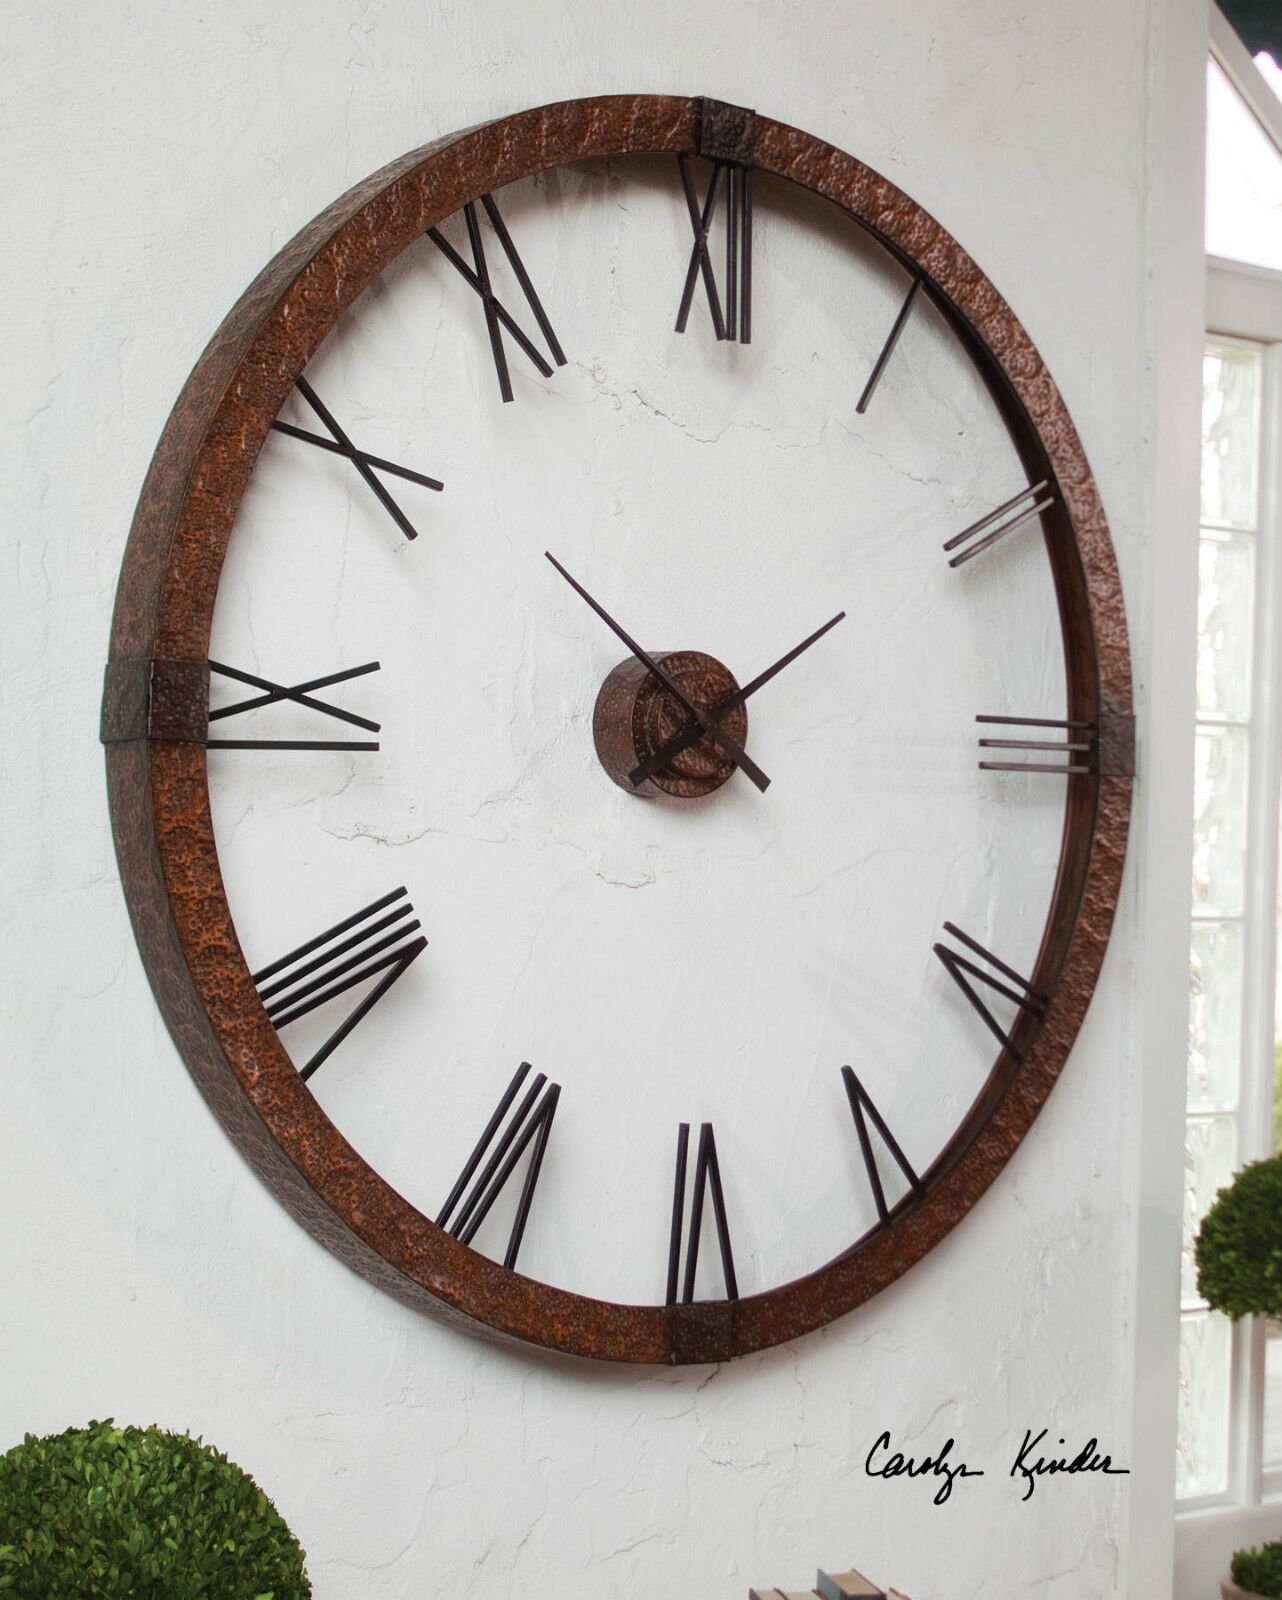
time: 1:51
